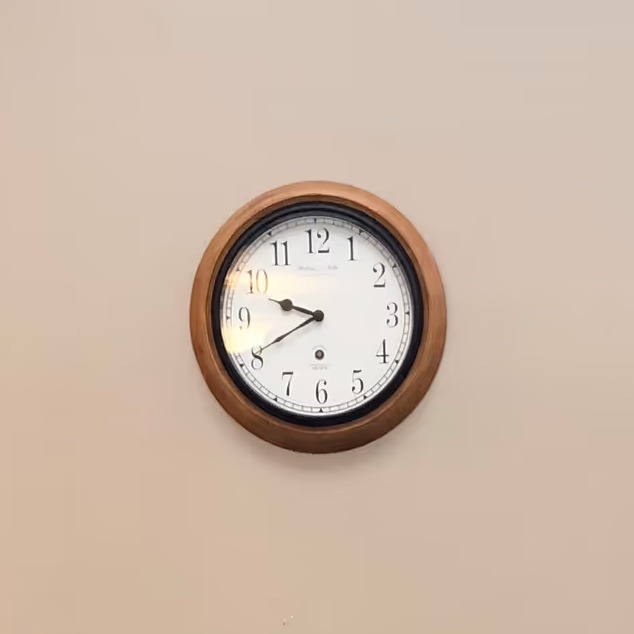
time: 9:40
